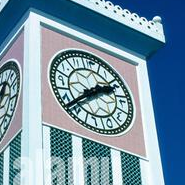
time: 1:37
